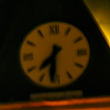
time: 7:31
